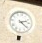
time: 2:21
